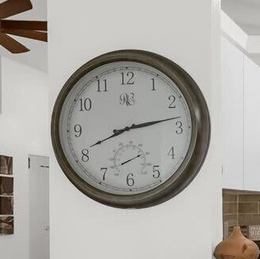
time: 8:12
